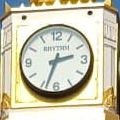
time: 2:33
